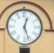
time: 12:26
